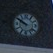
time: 9:50
